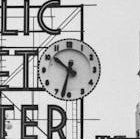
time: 10:32
